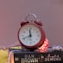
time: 11:41
